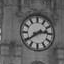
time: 2:39
